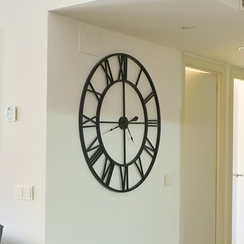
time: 5:59
